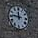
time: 11:46
